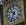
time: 10:34
